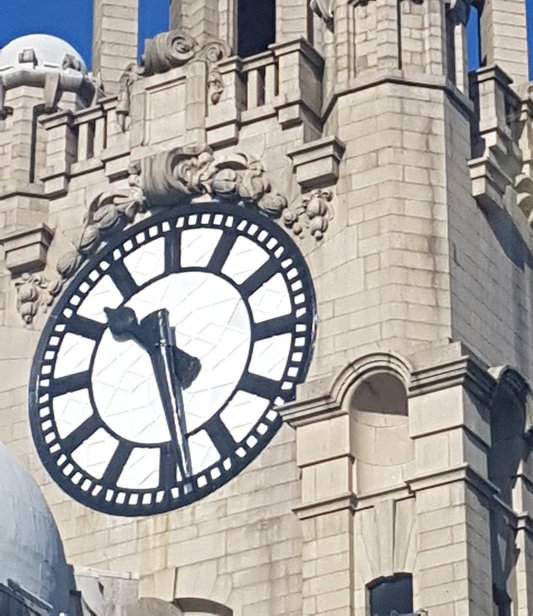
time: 10:28
